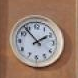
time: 1:53
